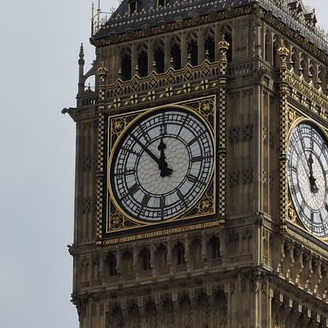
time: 11:52
